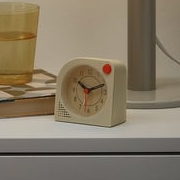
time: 10:11
